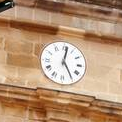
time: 12:24
